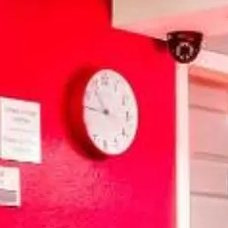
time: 10:45
